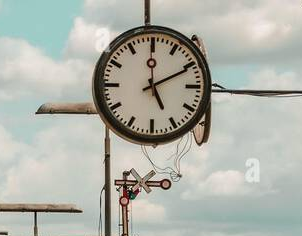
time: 5:10
